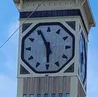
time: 5:55
